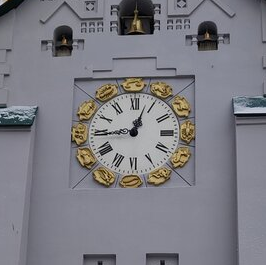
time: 12:44
